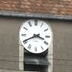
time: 3:40
